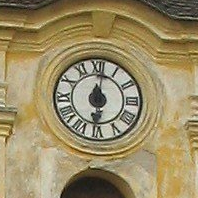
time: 6:01
